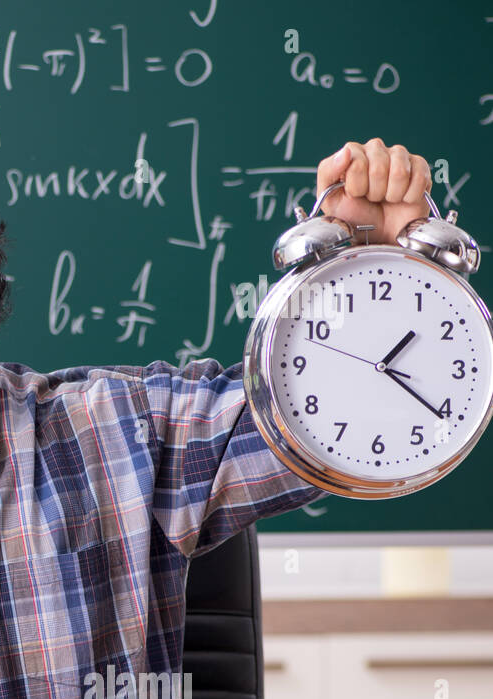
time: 1:21
